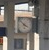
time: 3:52
